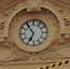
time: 6:54
